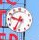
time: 9:34
